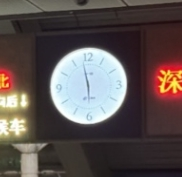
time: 5:58
